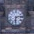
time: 6:13
